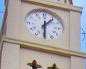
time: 6:06
